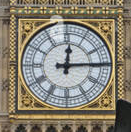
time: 12:14
